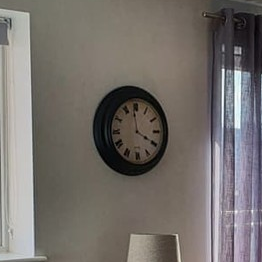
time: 3:58
